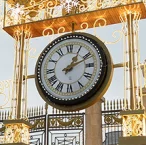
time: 1:10
